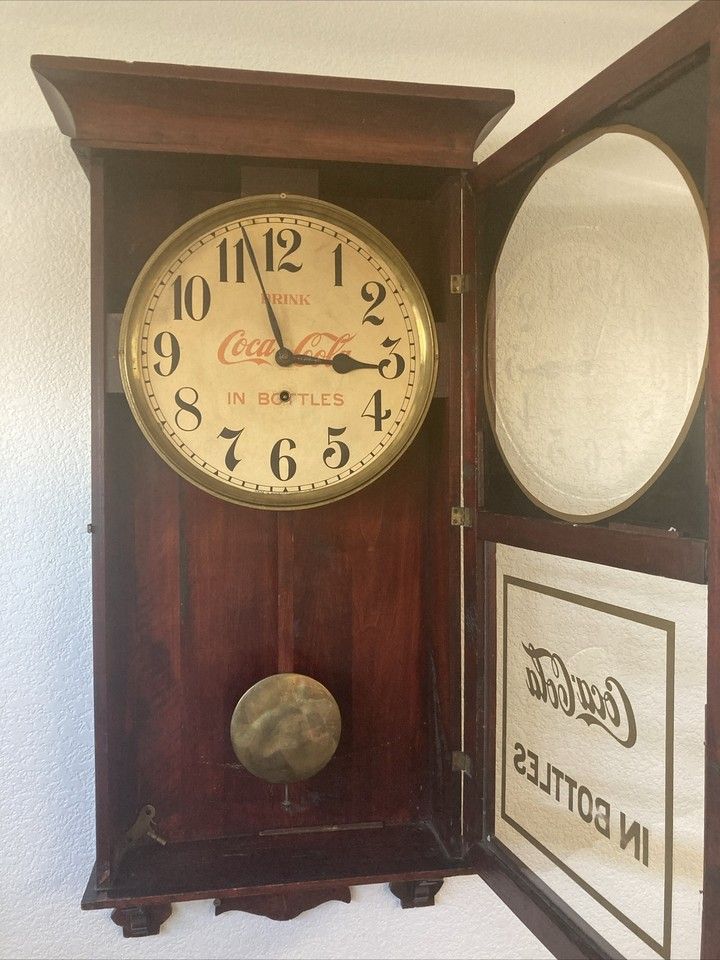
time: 2:58
